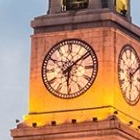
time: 6:08
